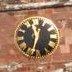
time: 11:32
